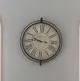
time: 9:45
